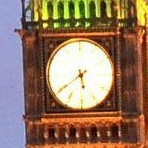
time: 5:39
